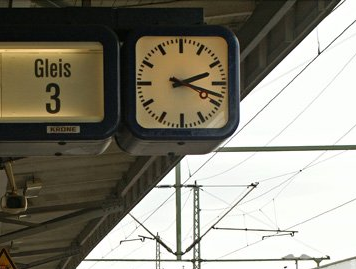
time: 2:18
